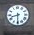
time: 8:30
